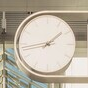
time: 1:43
